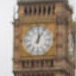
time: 12:04
